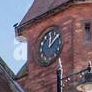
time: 12:07
